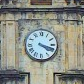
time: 4:18
